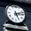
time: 5:12
